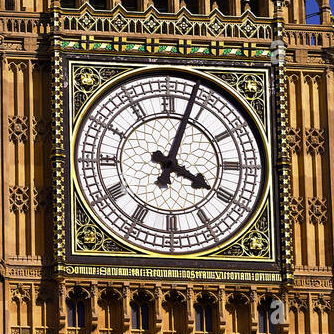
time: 4:03
